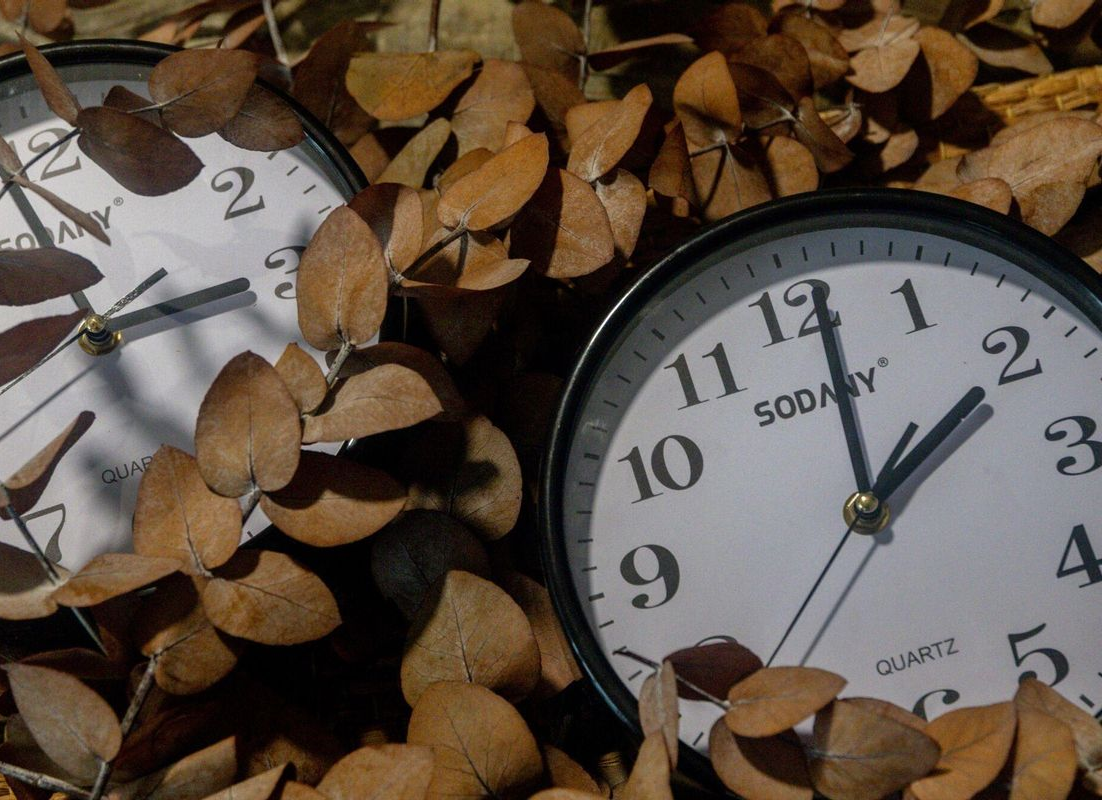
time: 2:00
